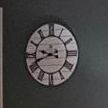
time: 9:42
